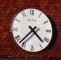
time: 4:37
